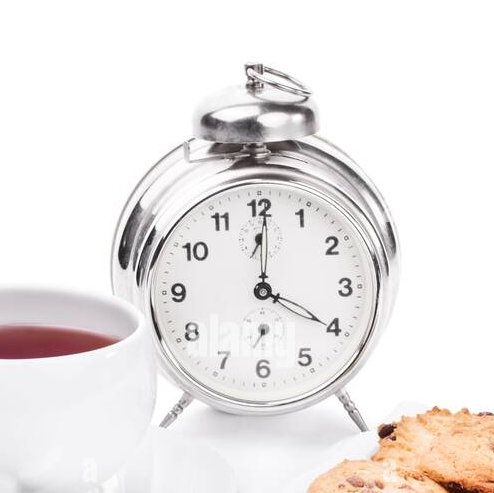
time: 4:00
